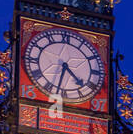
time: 4:32
